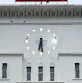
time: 6:28
